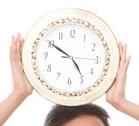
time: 4:50
